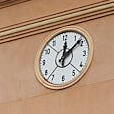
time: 12:07
